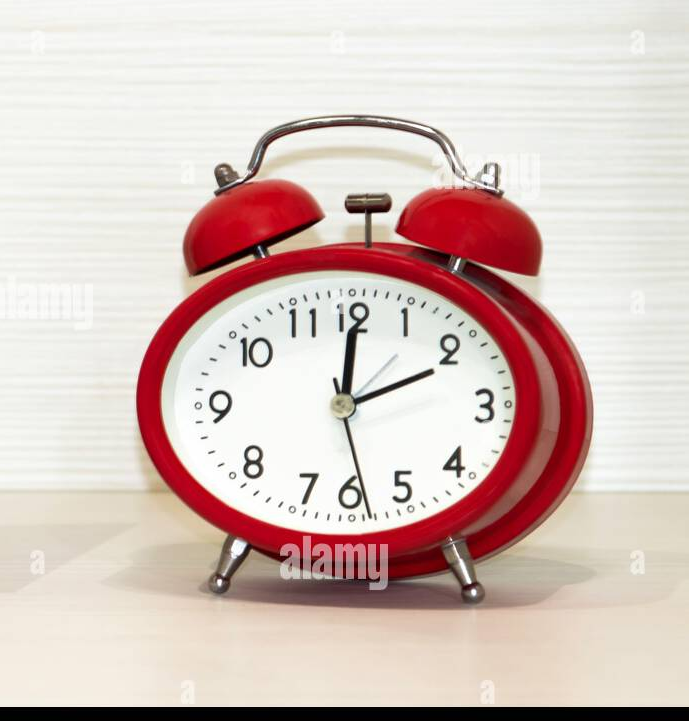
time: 2:00
